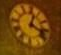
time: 4:02
